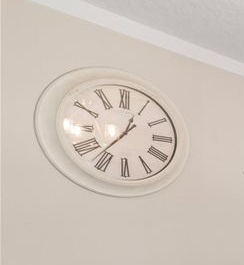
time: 12:36
